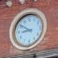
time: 8:50
